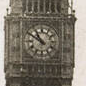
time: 10:50
